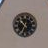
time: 10:34
